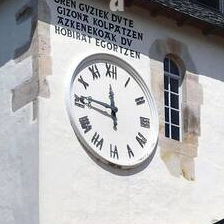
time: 11:46
